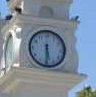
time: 5:30
